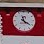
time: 11:21
